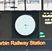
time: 5:15
